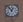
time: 12:53
